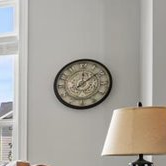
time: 12:08
